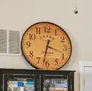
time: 3:32
